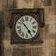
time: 4:52
